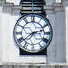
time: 2:38
